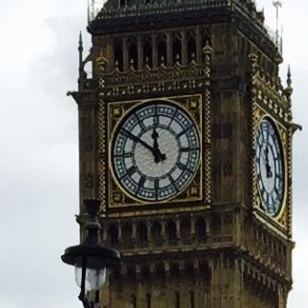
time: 11:50
